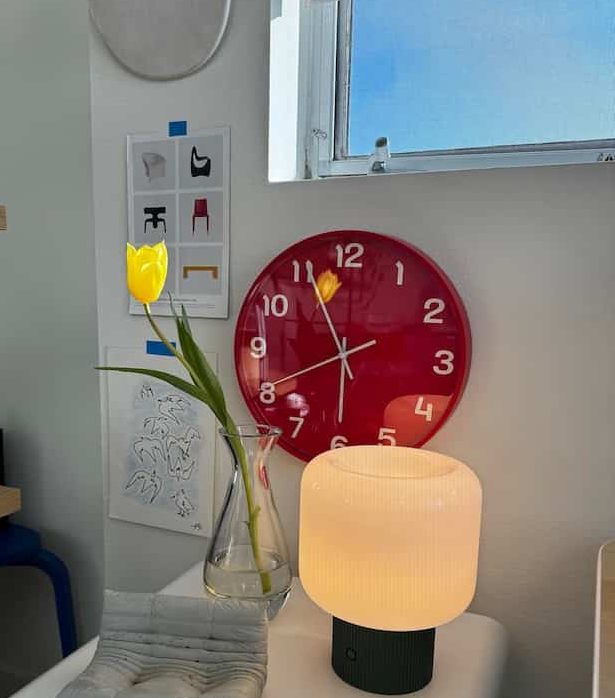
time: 5:55
